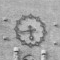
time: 5:42
